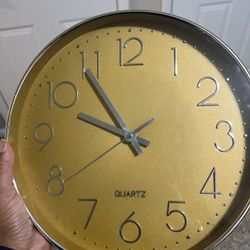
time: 9:54
